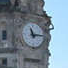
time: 11:13
